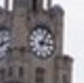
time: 3:04
